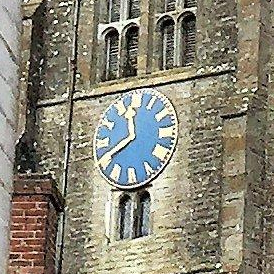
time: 11:40
